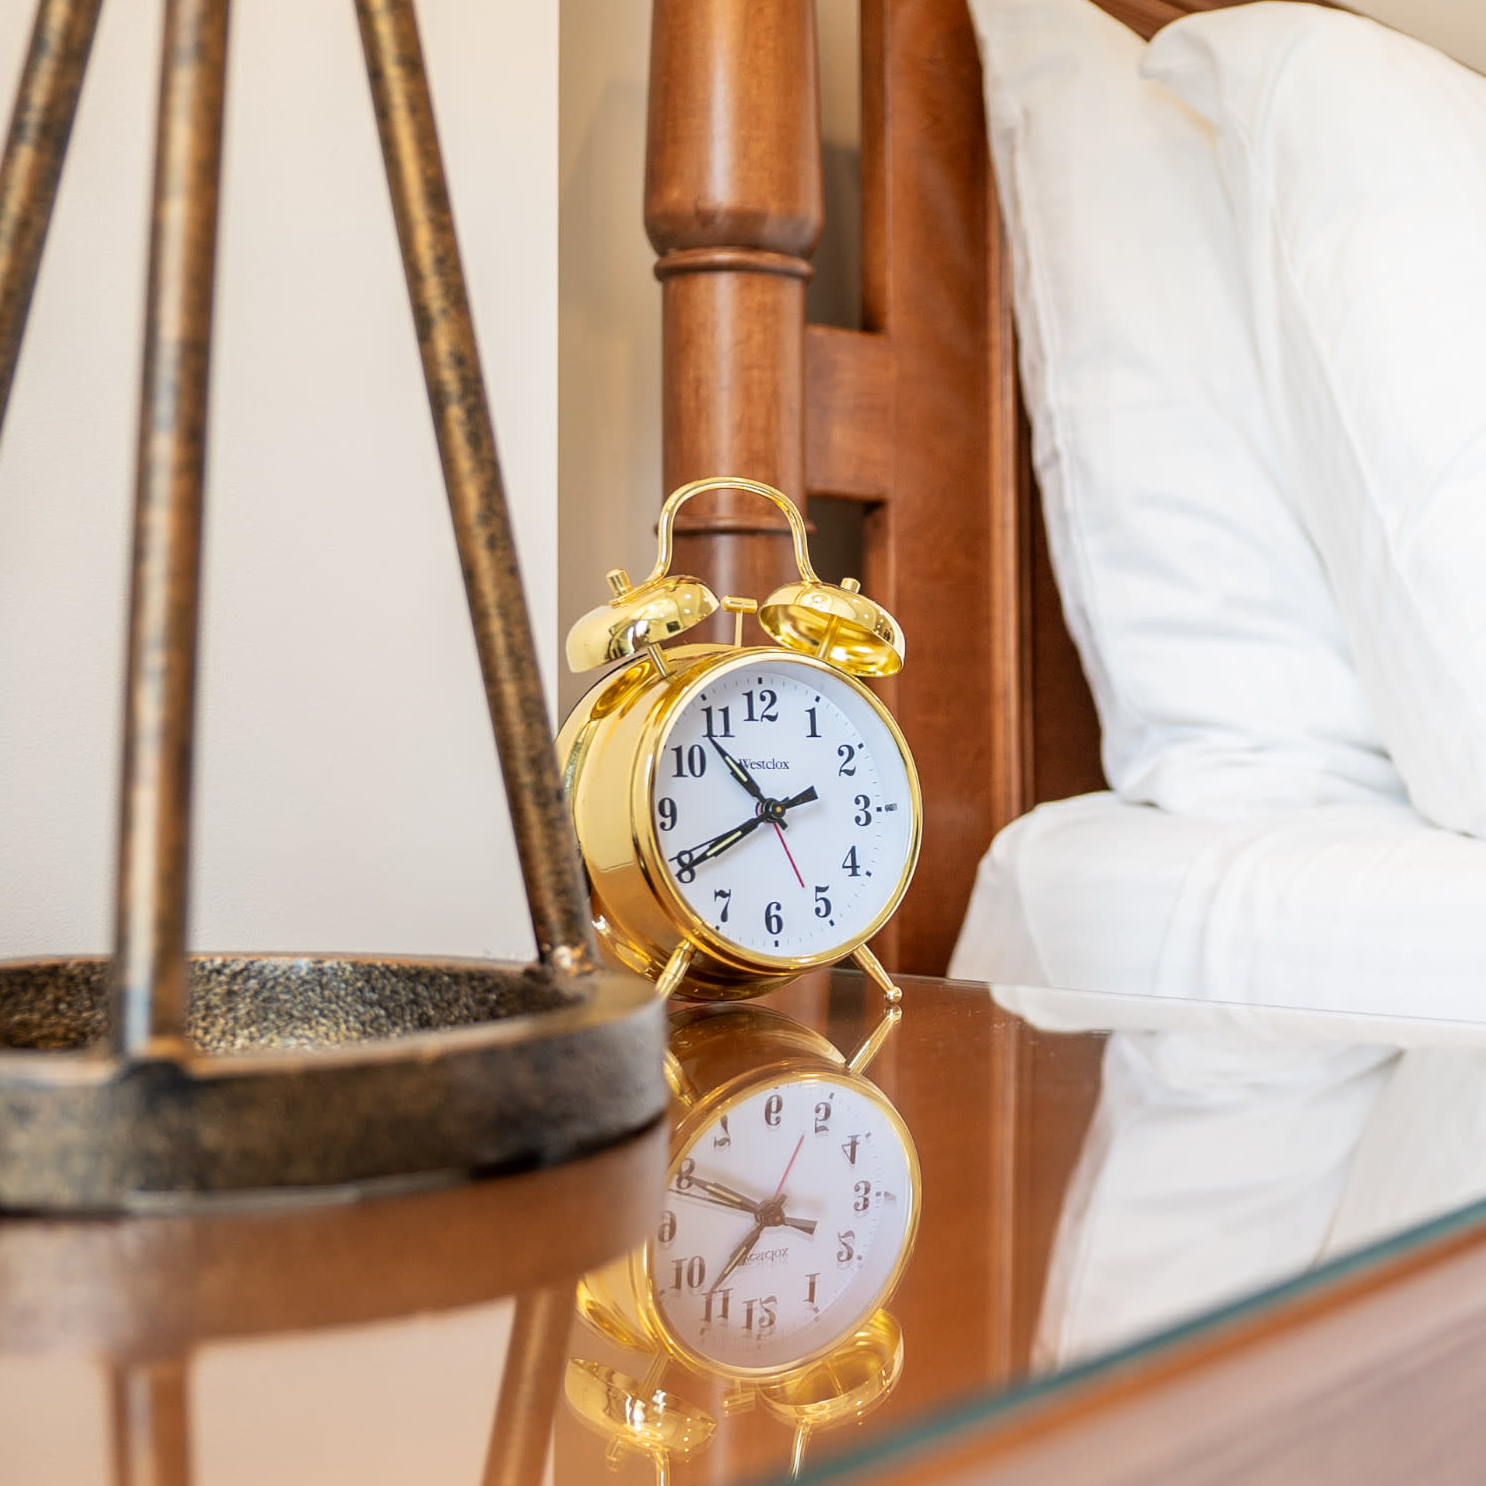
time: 10:40
